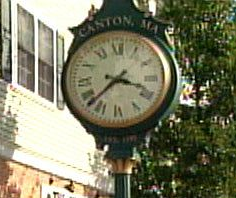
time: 3:38
